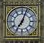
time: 7:03
